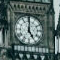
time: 5:00
